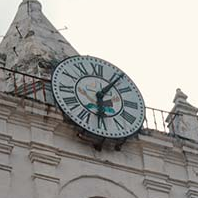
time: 6:06
